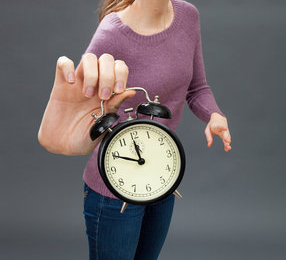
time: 11:49
